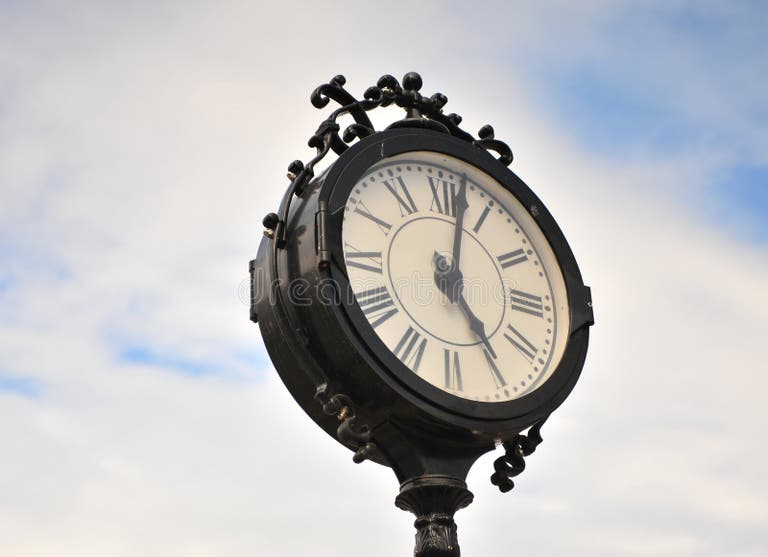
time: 5:02
